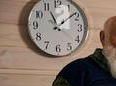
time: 11:08
